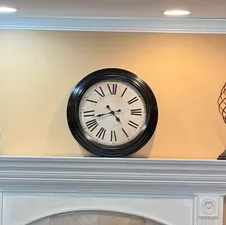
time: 4:42
